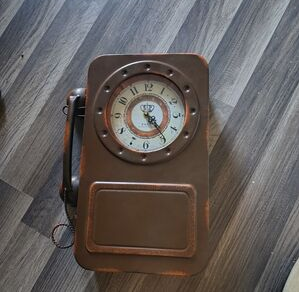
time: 4:23
